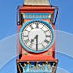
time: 7:30
